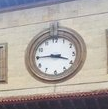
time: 3:45
